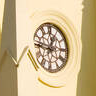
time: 12:46
